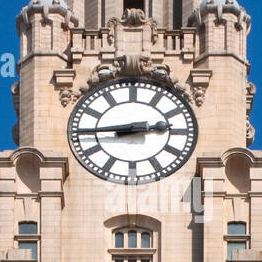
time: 2:45
